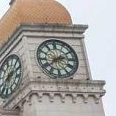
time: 2:38
